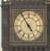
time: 4:54
